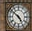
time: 4:51
